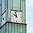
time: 9:57
